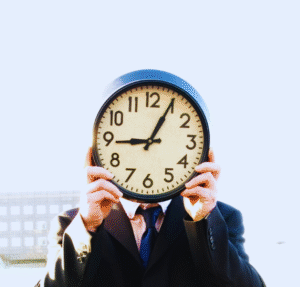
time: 9:04
